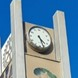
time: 4:26
